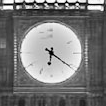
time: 6:21
